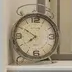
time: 7:50
